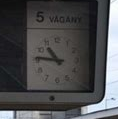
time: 10:46
